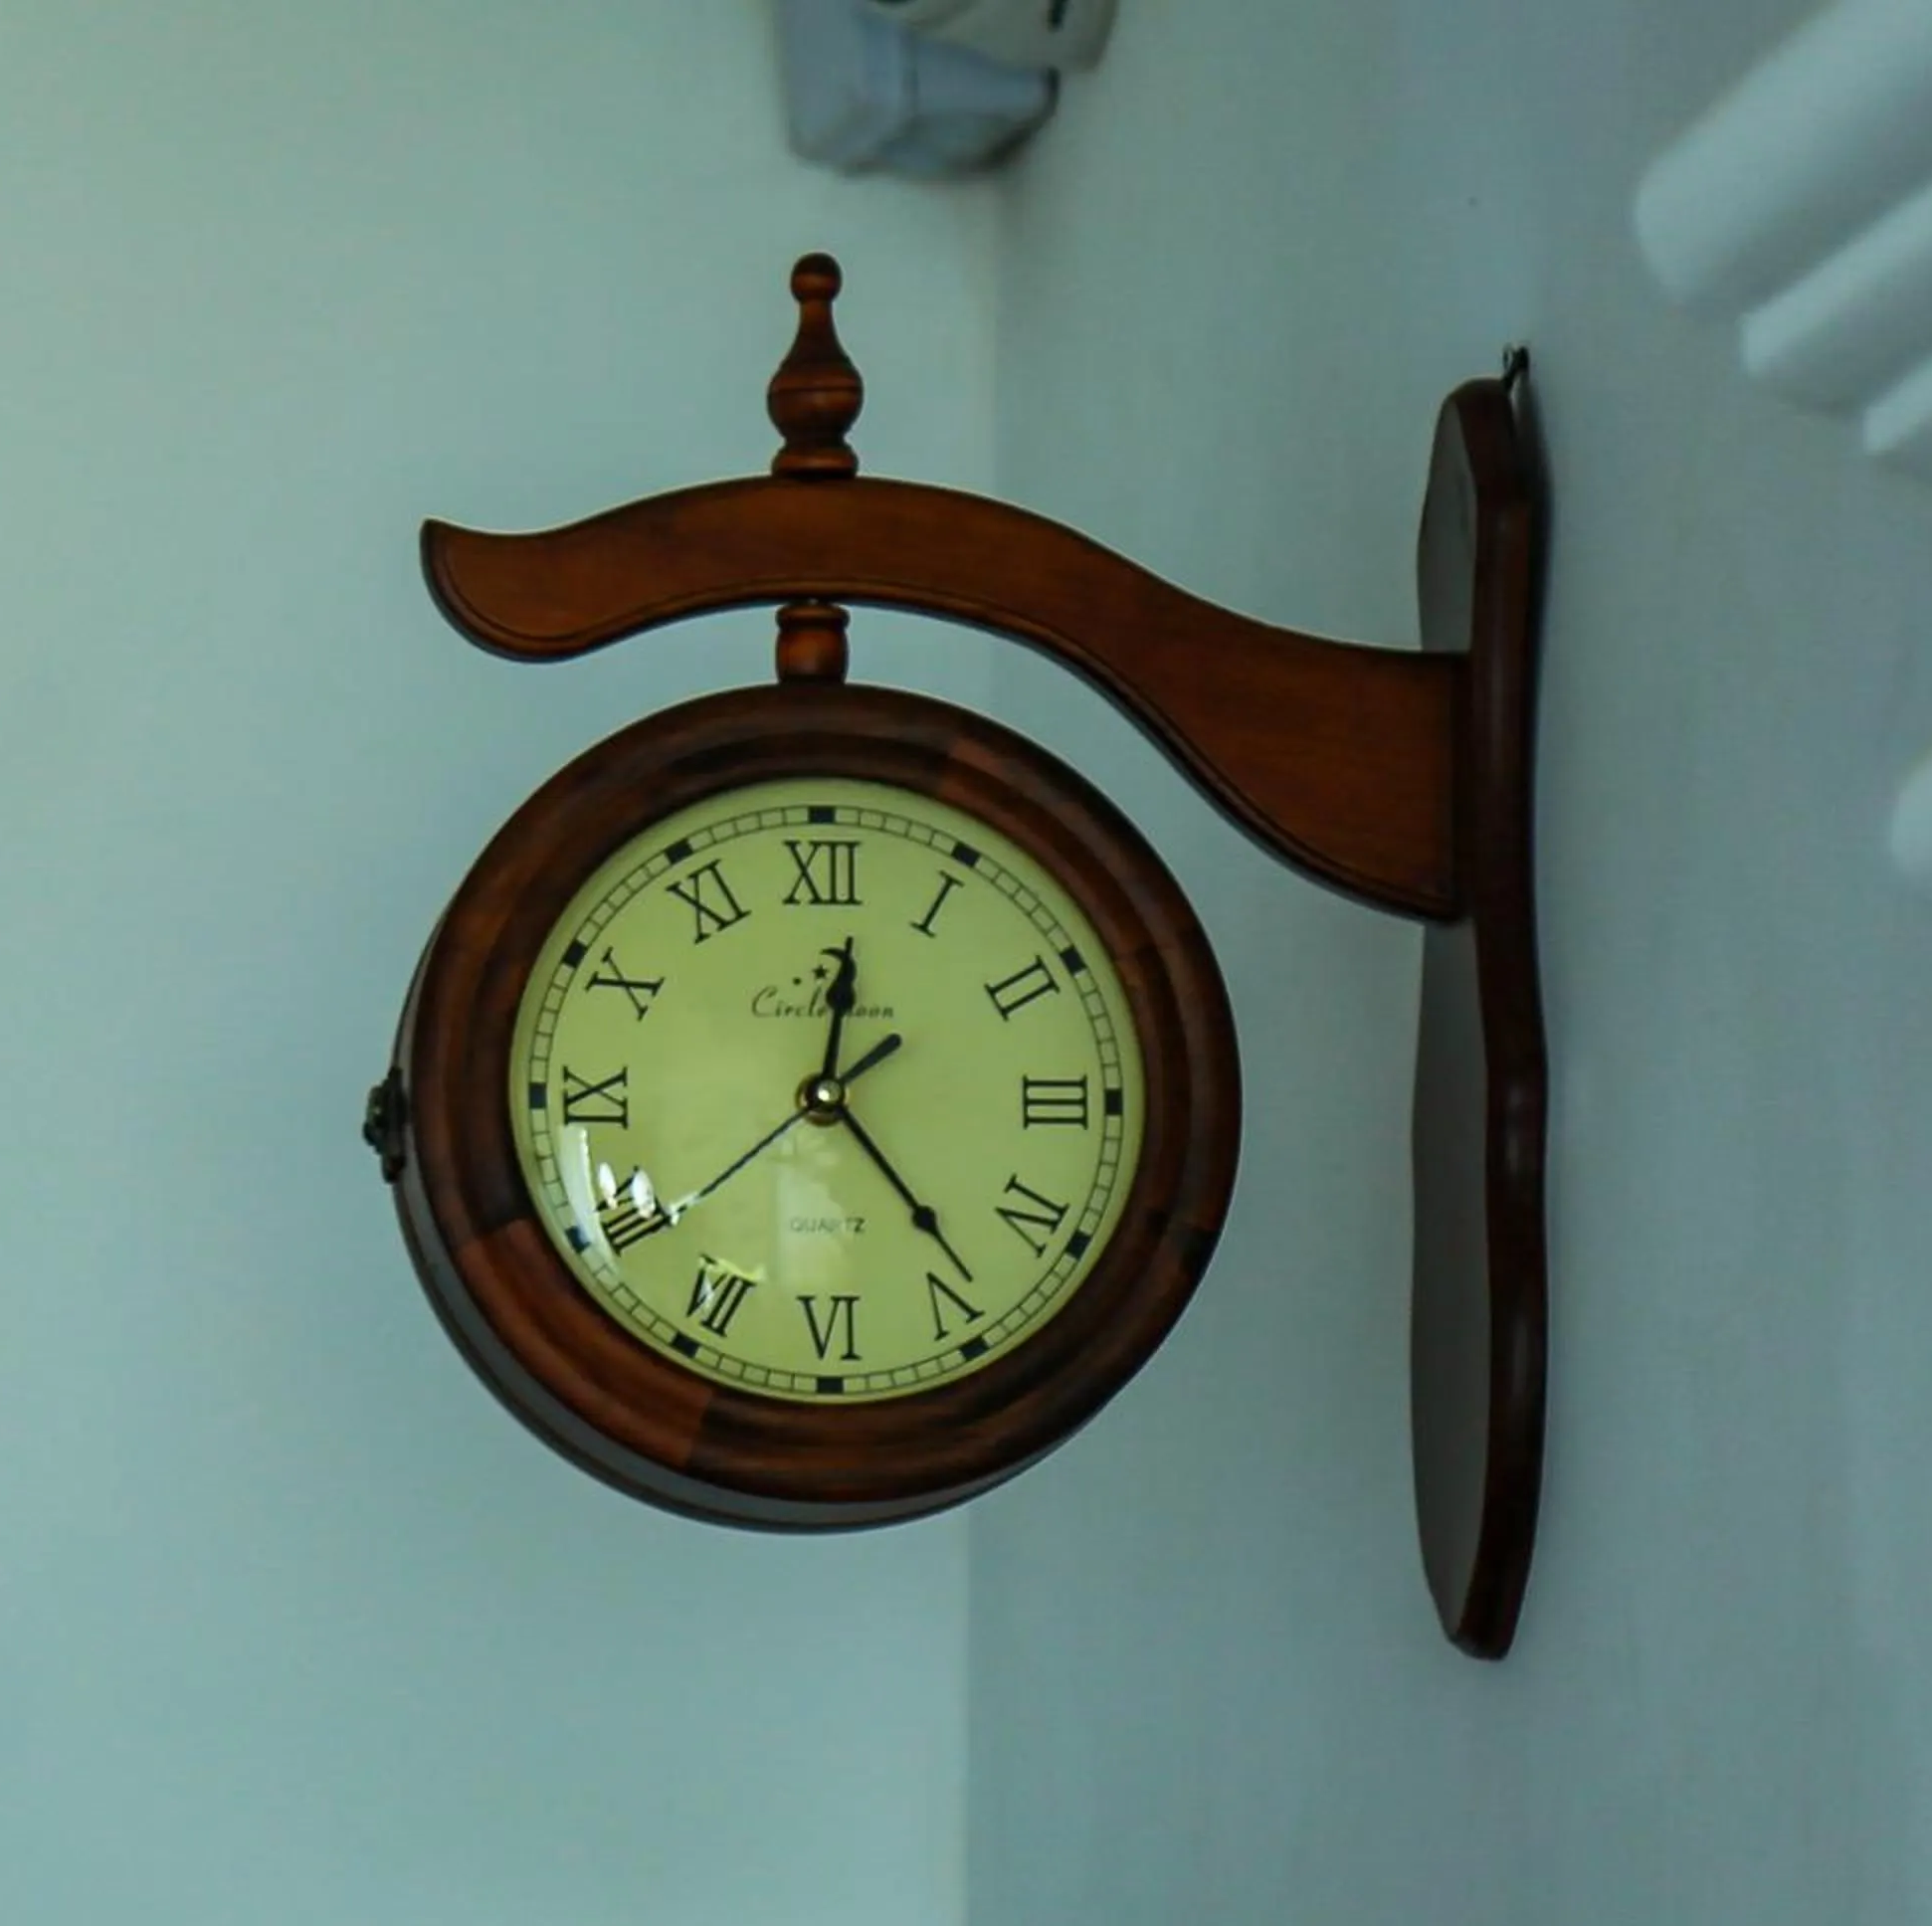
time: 12:23
